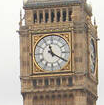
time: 11:20
